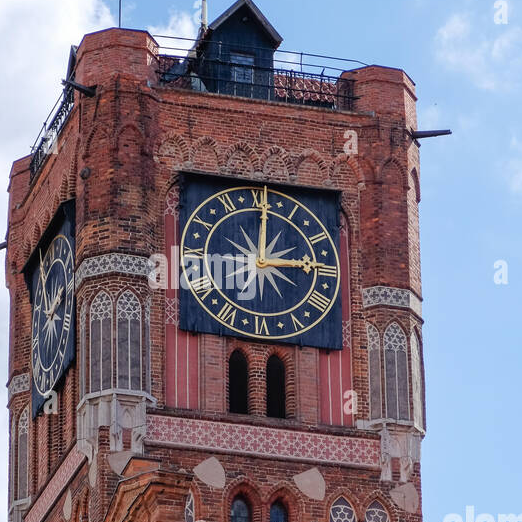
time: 3:00
